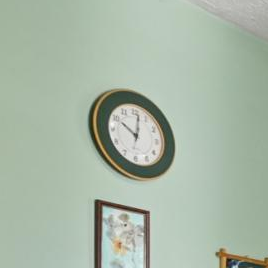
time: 10:01
